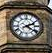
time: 2:21
